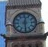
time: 12:29
